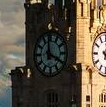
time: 3:58
